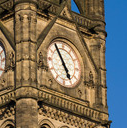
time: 4:54
